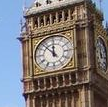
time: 11:52
